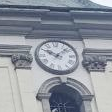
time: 10:07
